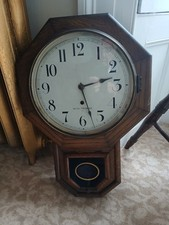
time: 2:27
